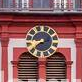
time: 8:38
